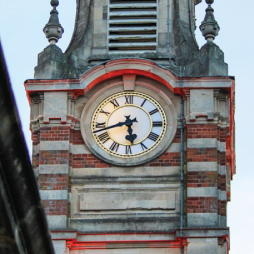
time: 5:42
